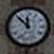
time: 11:52
